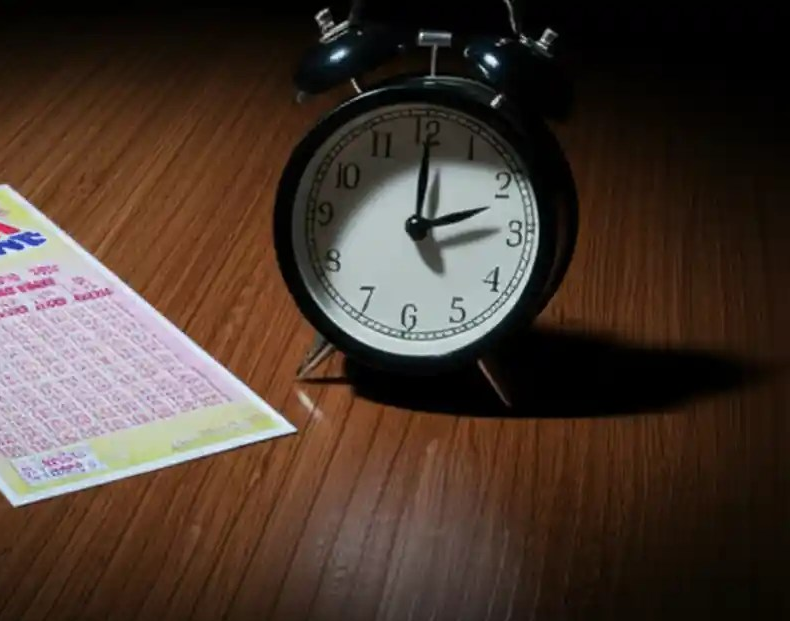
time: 2:00
